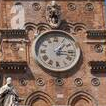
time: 1:16
